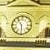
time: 5:54
